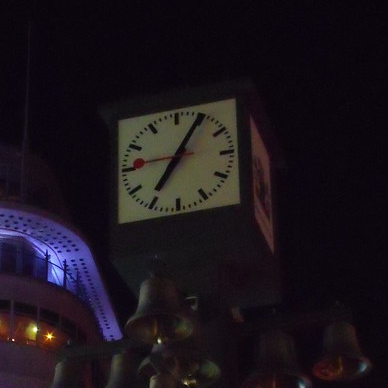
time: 7:04
